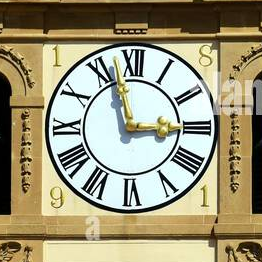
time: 2:56
